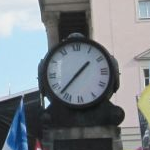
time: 1:37
